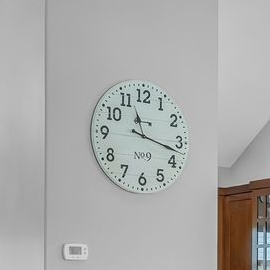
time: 11:17
